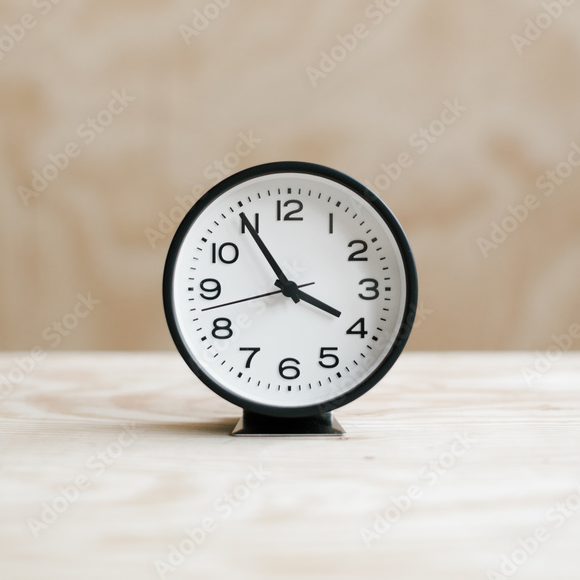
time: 3:54
